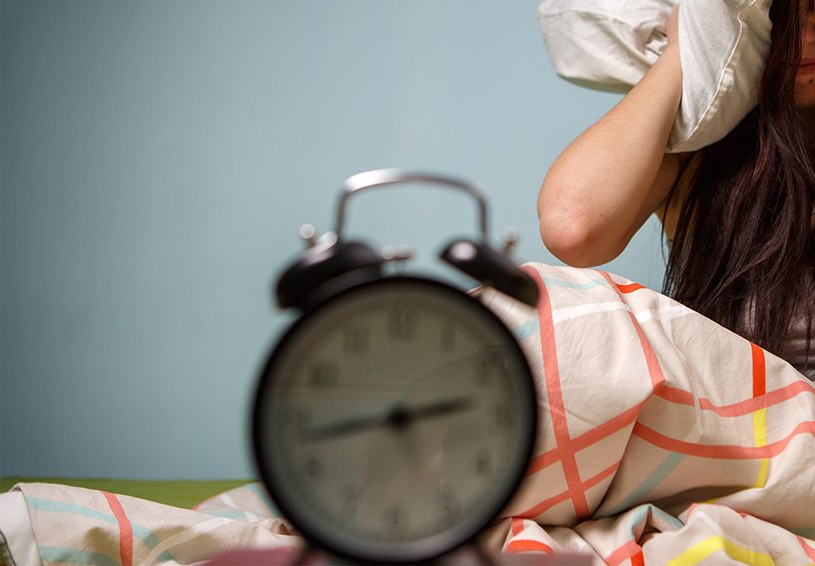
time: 2:43
